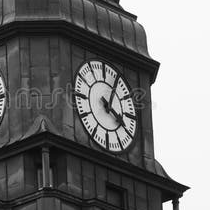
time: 4:03
